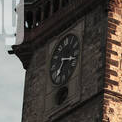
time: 7:15
